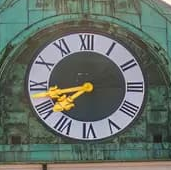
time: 7:42
